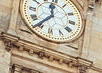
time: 11:36
